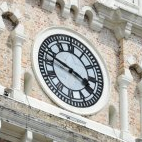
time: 3:47
